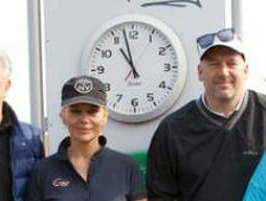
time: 10:57
